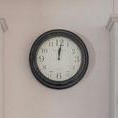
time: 12:01
